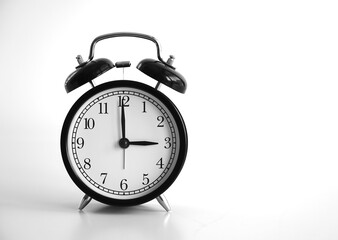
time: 2:59
